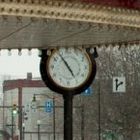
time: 4:54
